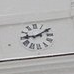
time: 9:10
